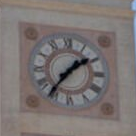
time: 1:36
